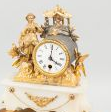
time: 4:01
